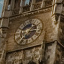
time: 1:37
